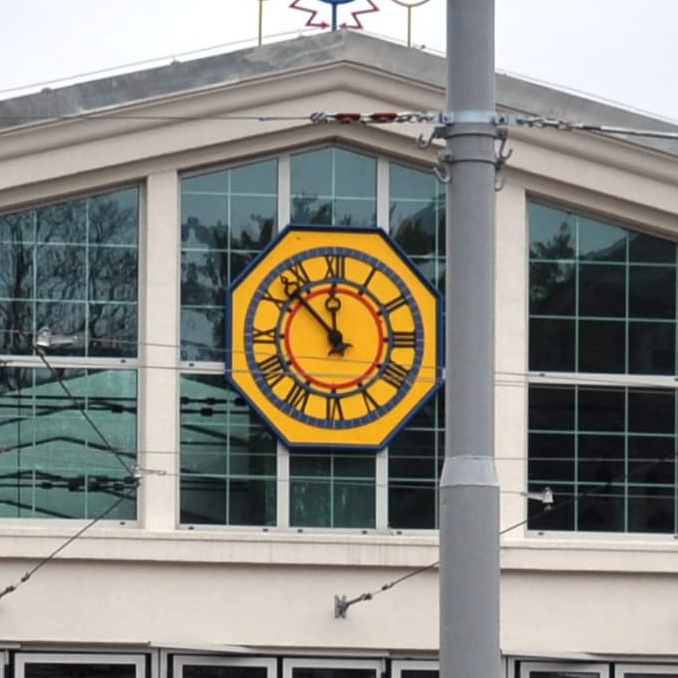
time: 11:52
